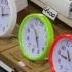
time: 11:28
